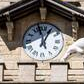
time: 12:57
